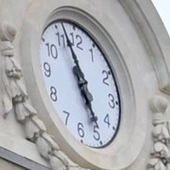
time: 4:56
